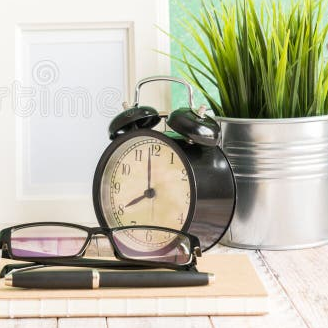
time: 7:59
